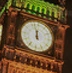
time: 11:57
